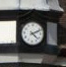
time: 4:10
